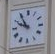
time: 9:54
